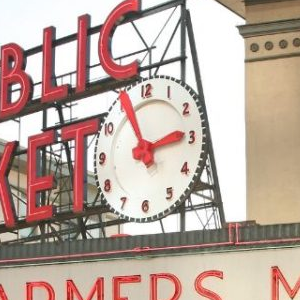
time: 2:56
